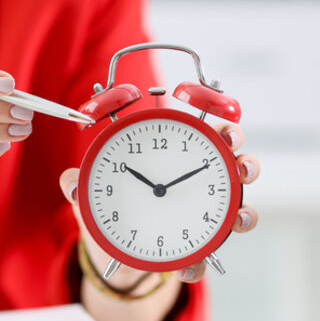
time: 10:10
